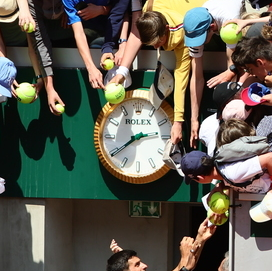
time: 2:39
